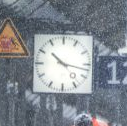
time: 10:17
